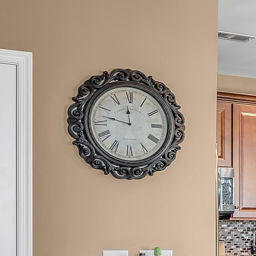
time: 11:47
